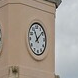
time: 11:08
